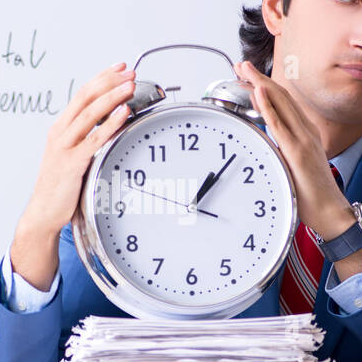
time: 1:06
